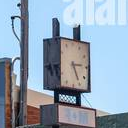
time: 5:14
